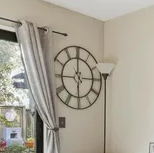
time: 5:59
